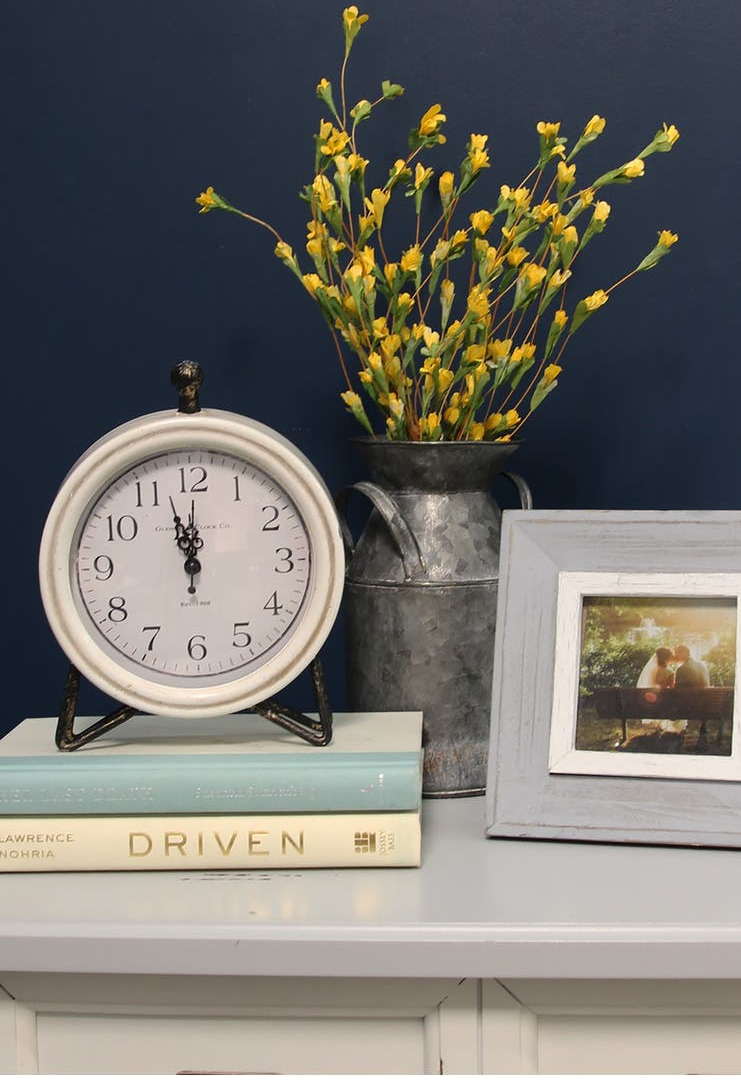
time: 11:57
